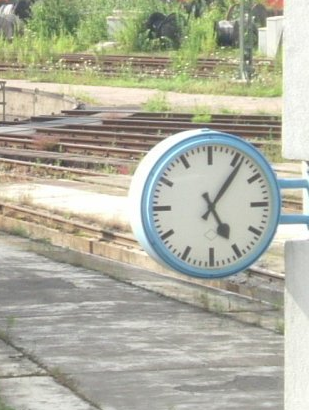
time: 5:06
